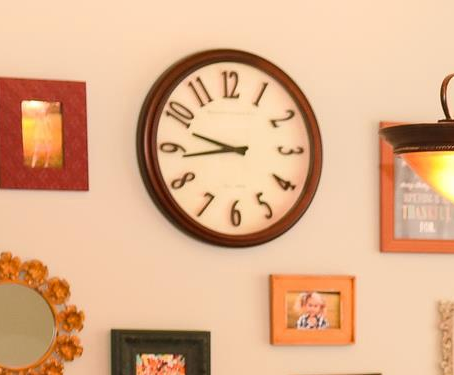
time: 9:43
